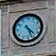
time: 4:26
